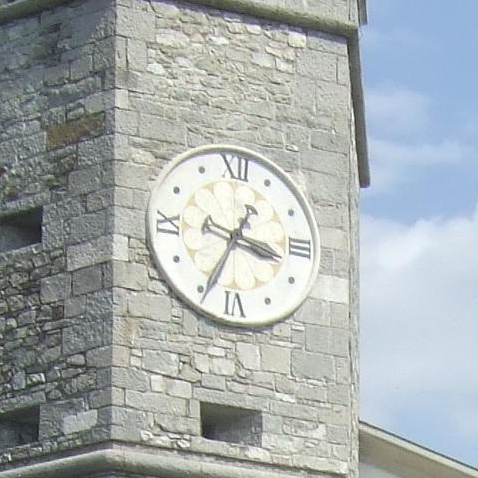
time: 3:34
